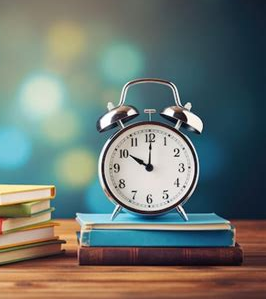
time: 10:00
